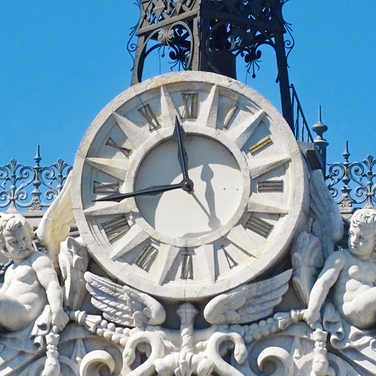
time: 11:42
